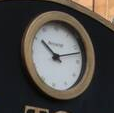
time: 10:12
